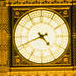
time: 4:41
